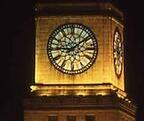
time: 9:08
